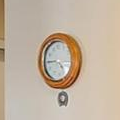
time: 4:45
